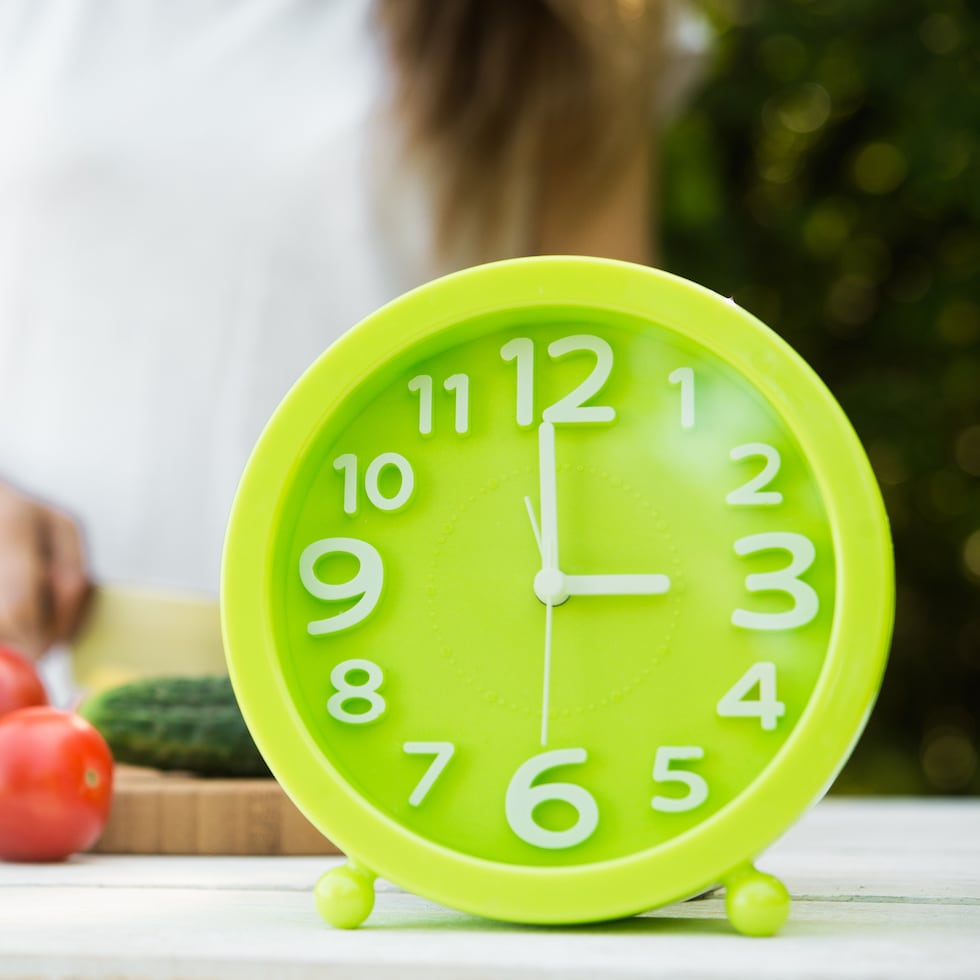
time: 2:59
